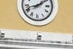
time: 1:42
